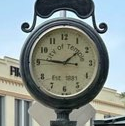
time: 1:46
